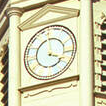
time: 3:58
